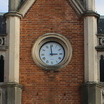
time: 2:59
